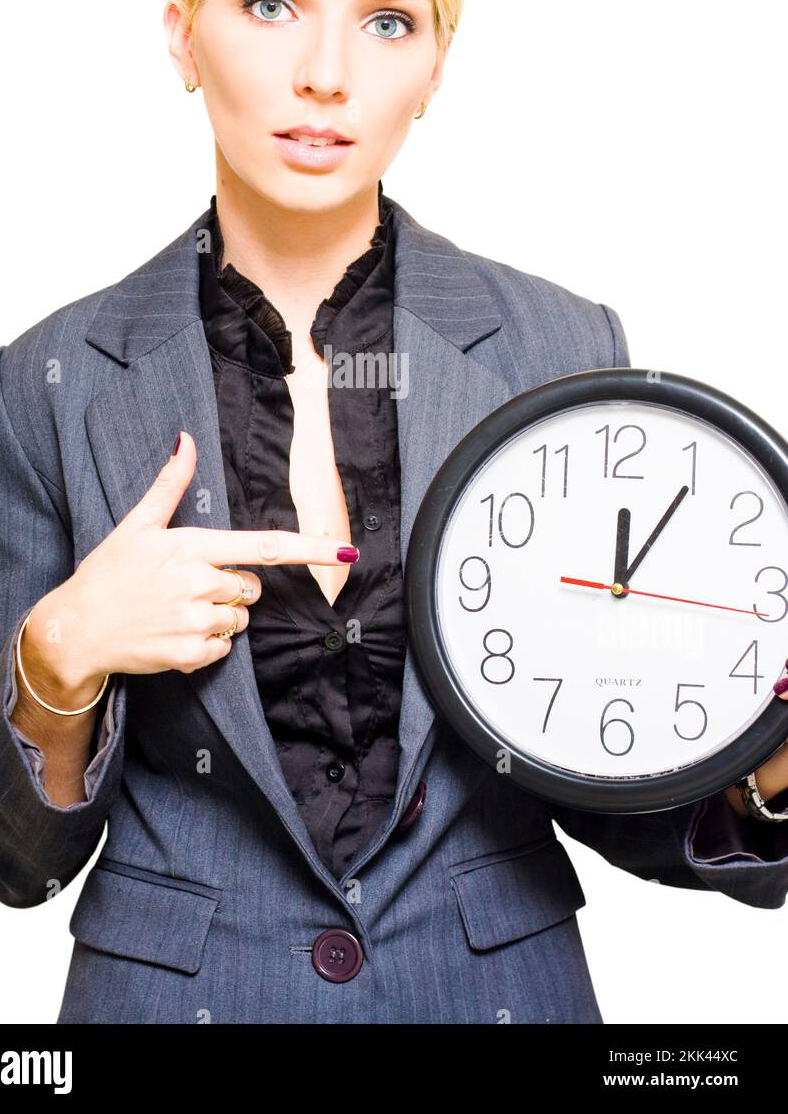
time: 12:05
